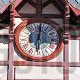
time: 6:01
